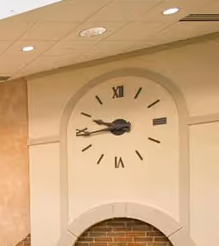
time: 9:43
